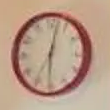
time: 6:02
